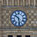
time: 10:28
